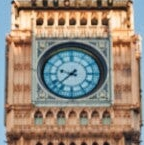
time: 9:37
